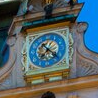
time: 7:22
